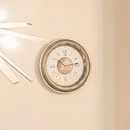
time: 10:13
